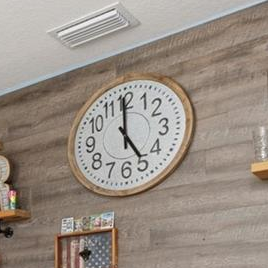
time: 4:59
